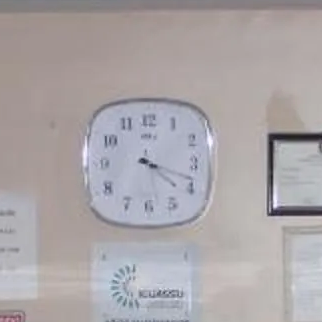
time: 4:18
